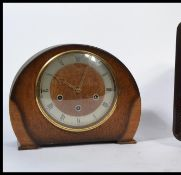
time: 10:03
